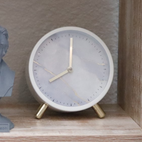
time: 8:00
